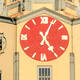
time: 5:04
